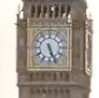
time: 5:26
